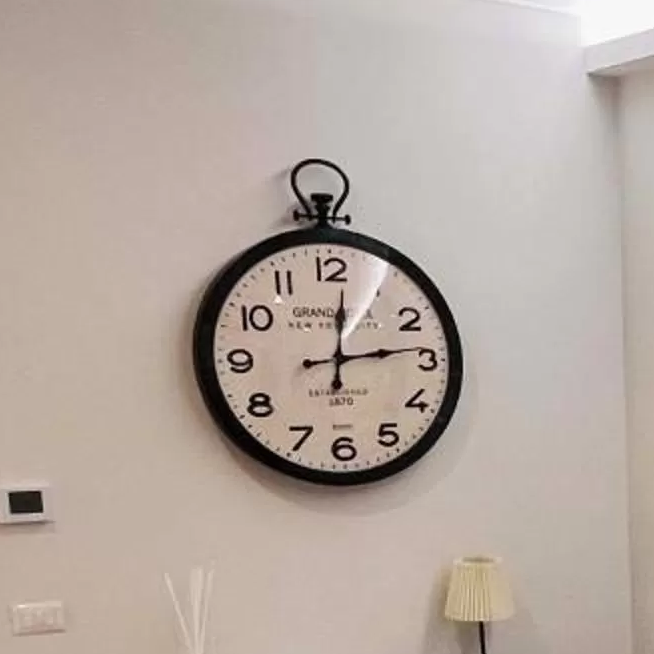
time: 12:13
